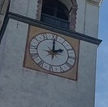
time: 2:00
